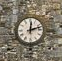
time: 12:12
